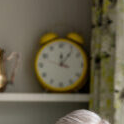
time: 12:06
